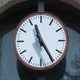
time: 11:24
